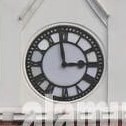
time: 2:58
